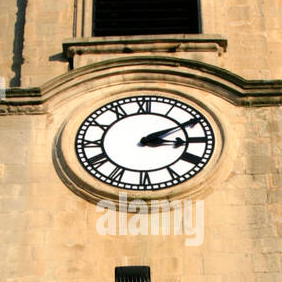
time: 3:10
